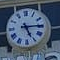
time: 5:14
